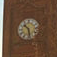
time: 10:28
